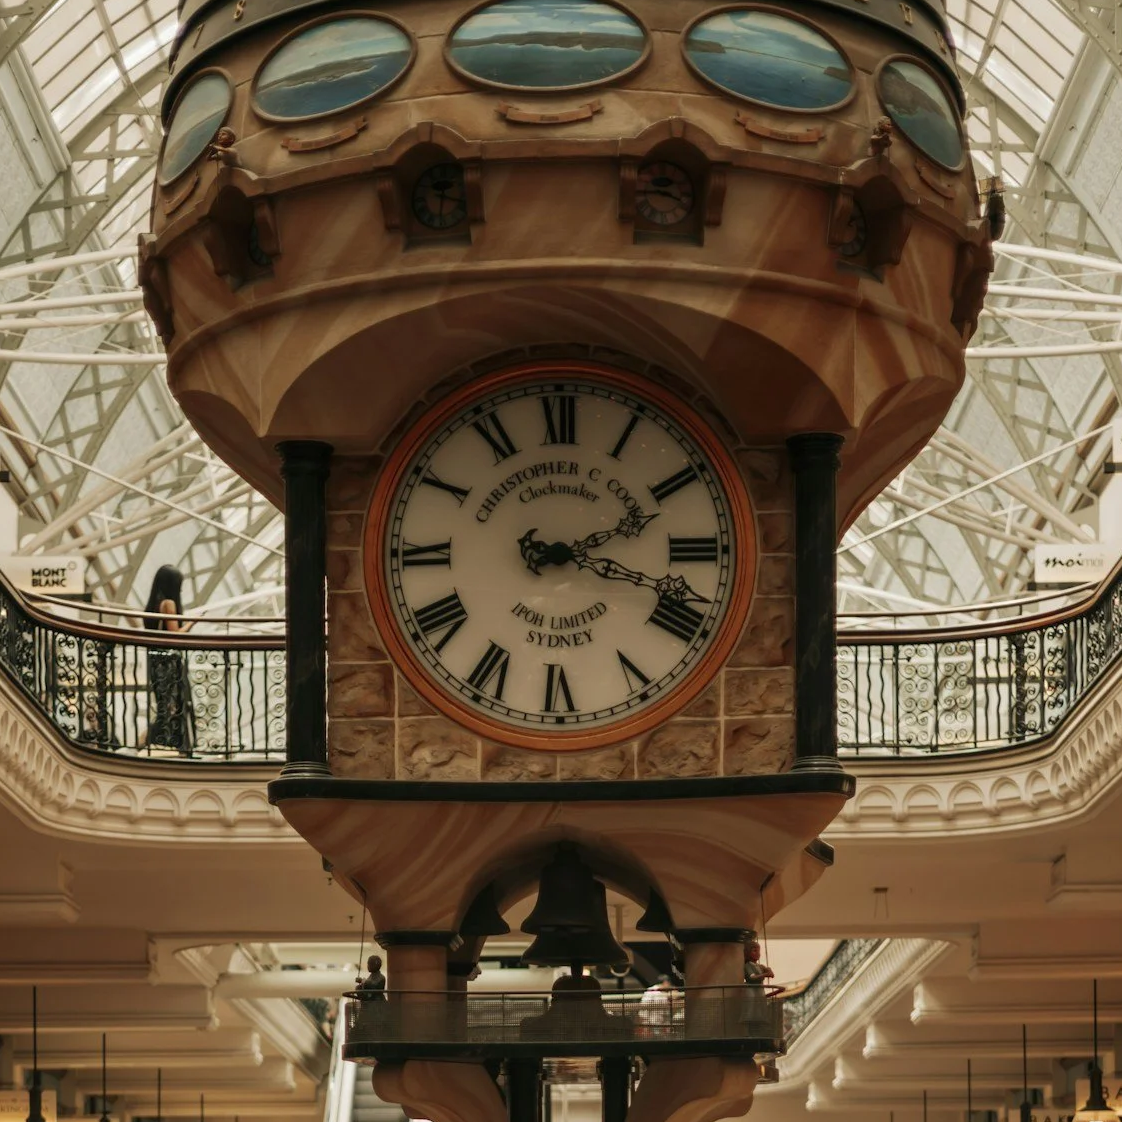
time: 2:18
